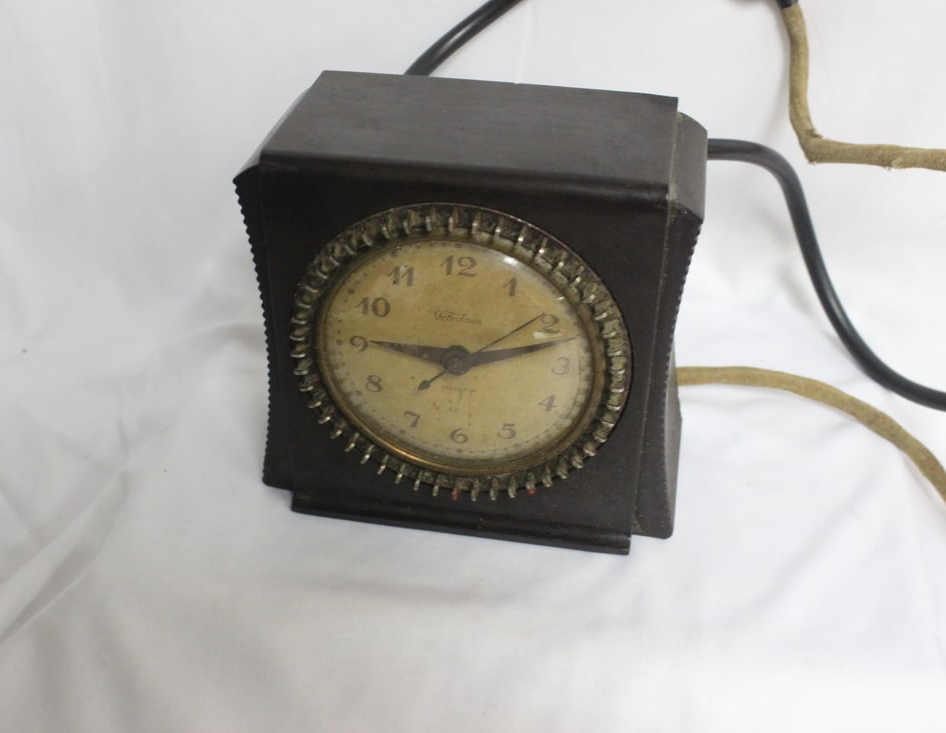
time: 9:11
